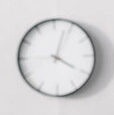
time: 4:03
